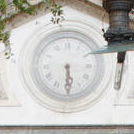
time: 5:29
